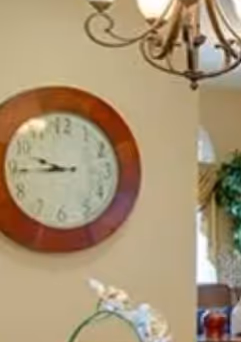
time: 9:44
